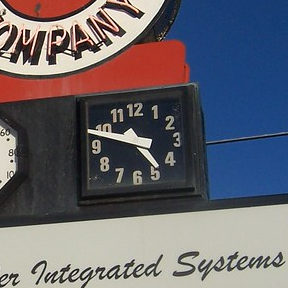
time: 4:48
